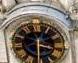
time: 3:29
